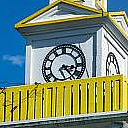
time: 3:23
